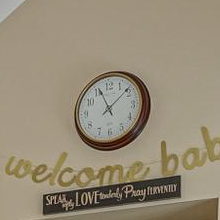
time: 11:08
